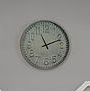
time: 11:11
